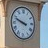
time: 9:48
